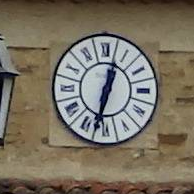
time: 12:32
